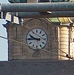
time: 9:44
